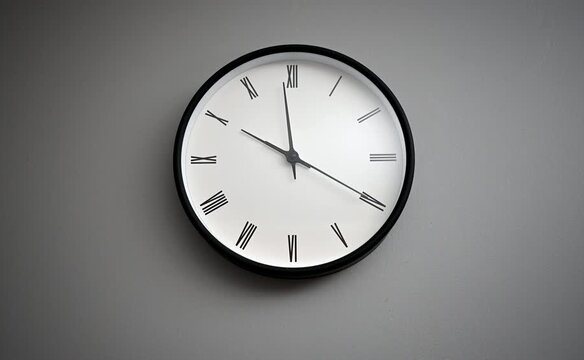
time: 9:58
